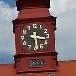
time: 3:29
